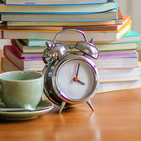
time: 4:02
